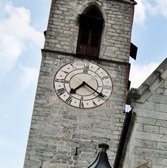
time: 7:20
